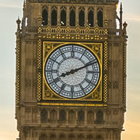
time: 8:11
